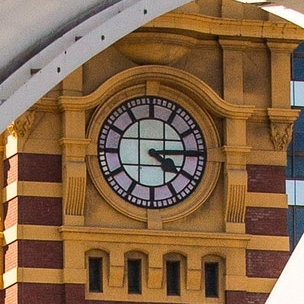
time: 4:14
